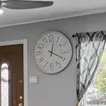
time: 12:19
